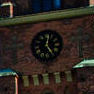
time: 12:24
